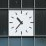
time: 10:36
